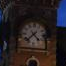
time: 4:37
